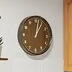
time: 1:02
